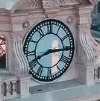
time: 8:15
